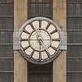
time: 5:45
